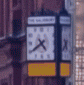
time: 4:39
